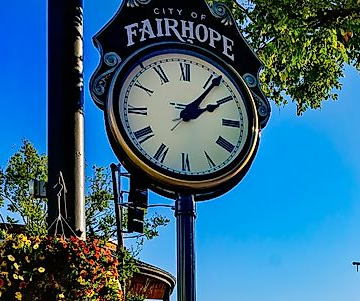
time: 2:06
